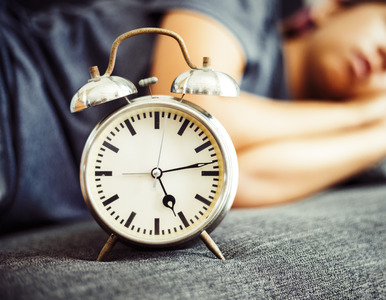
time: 5:13
